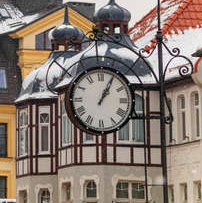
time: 1:04
